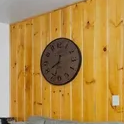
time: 7:32
